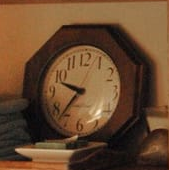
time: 9:36
